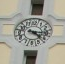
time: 4:16
